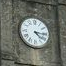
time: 4:16
